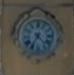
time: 4:35
